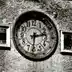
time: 2:31
